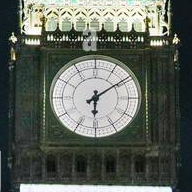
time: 6:09
